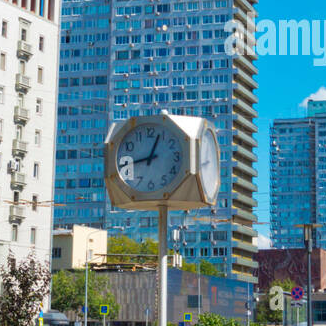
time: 12:43
